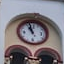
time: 10:57
